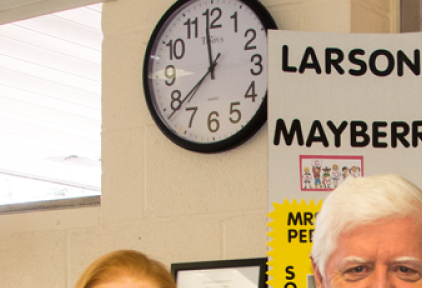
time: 11:38
